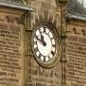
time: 10:48
